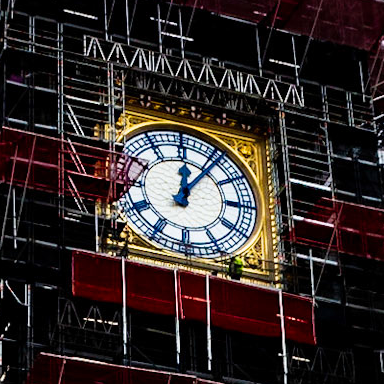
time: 12:06
